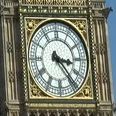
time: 3:23
